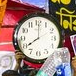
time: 8:00
